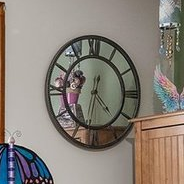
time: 4:32
